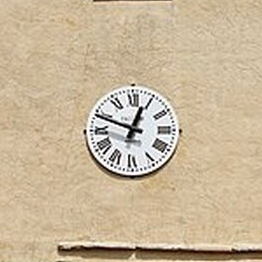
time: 12:48
